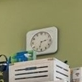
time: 2:32
